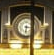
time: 6:15
